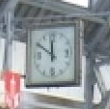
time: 11:50
